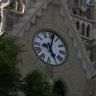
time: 5:01
